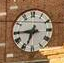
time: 6:44
